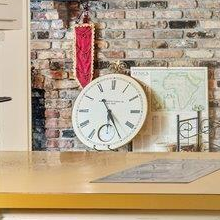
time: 5:24
